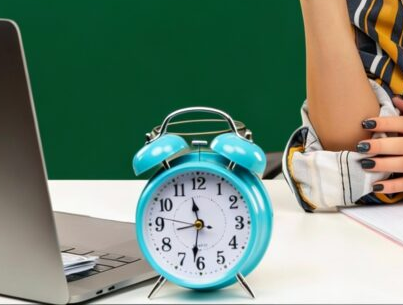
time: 11:31
